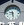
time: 9:28
